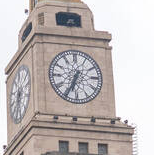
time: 6:34
